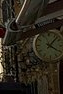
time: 4:07
